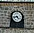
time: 4:42
